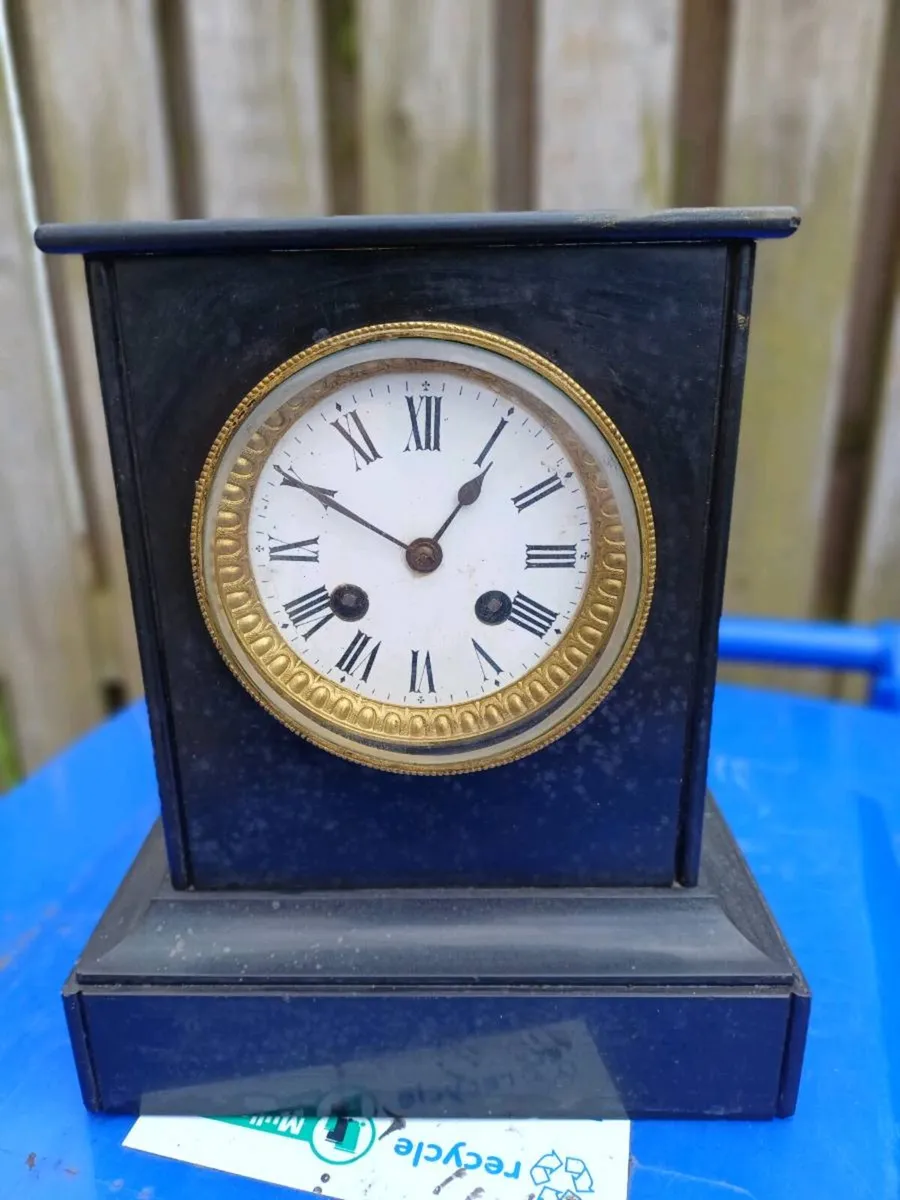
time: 12:50
